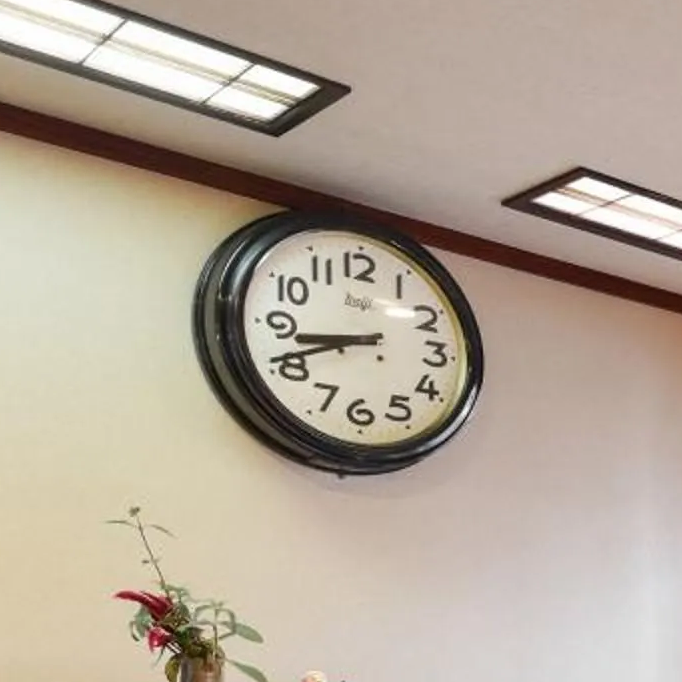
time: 8:41
